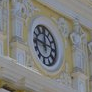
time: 11:46
